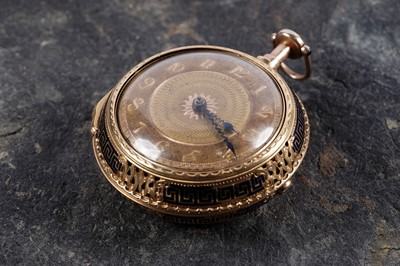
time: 4:24
